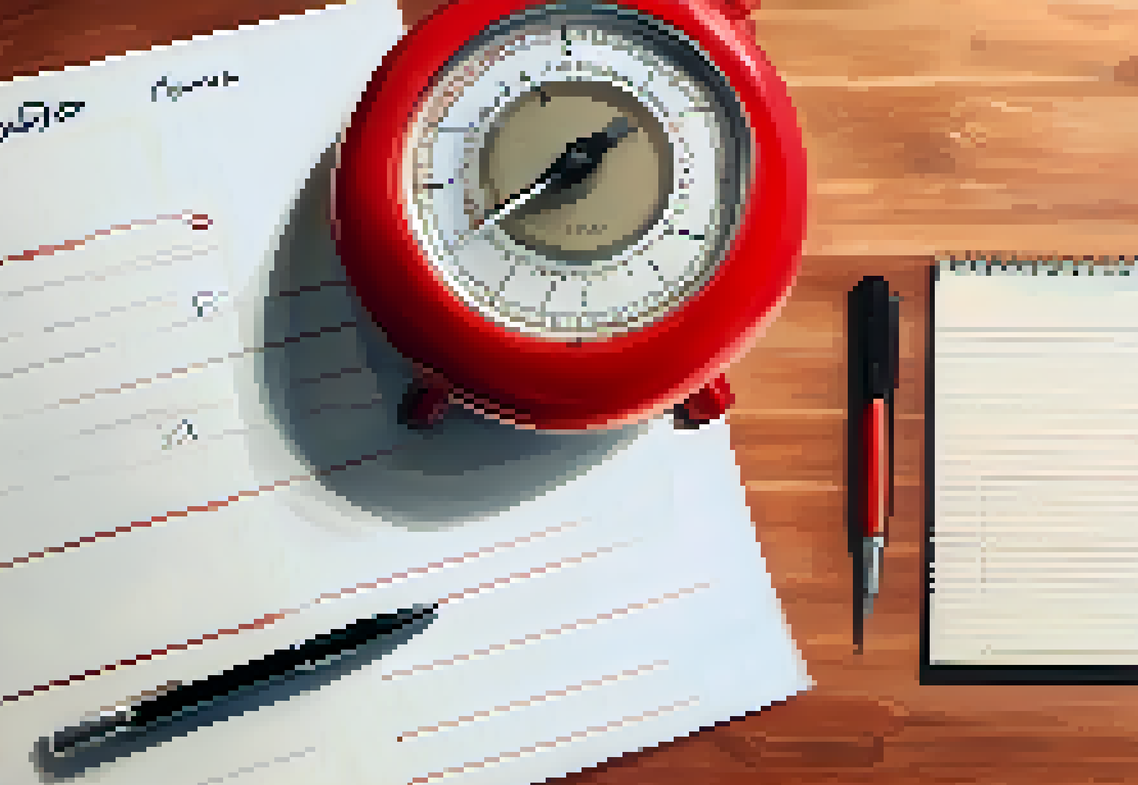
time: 1:39
